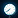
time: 7:39
